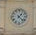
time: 1:22
